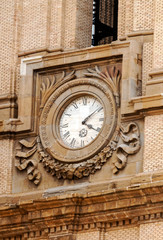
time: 4:09
